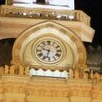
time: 9:32
